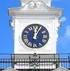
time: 12:04
